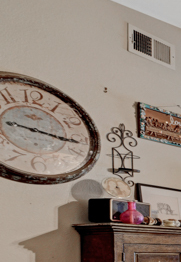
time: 9:16
